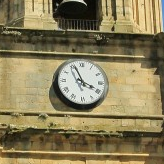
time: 3:56
